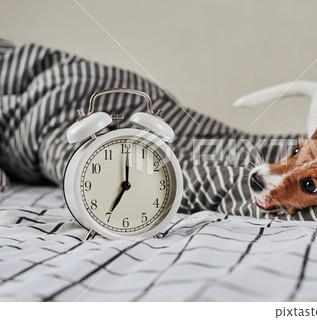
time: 7:00
